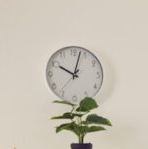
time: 10:02
